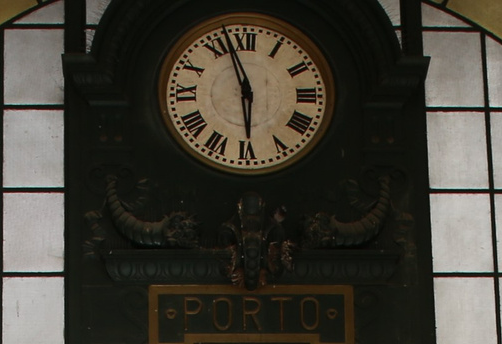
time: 5:57
